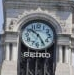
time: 10:24
